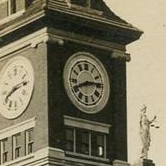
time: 8:14
